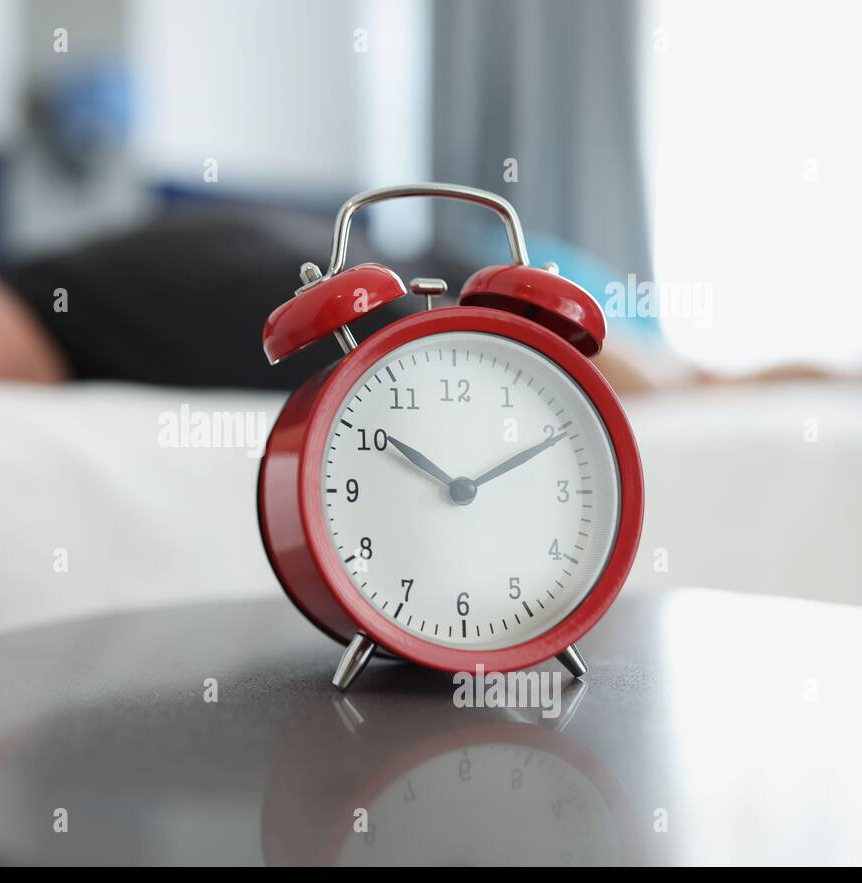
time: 10:10
